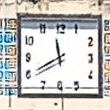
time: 11:39
